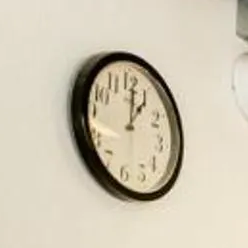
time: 1:01
